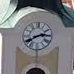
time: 2:40
